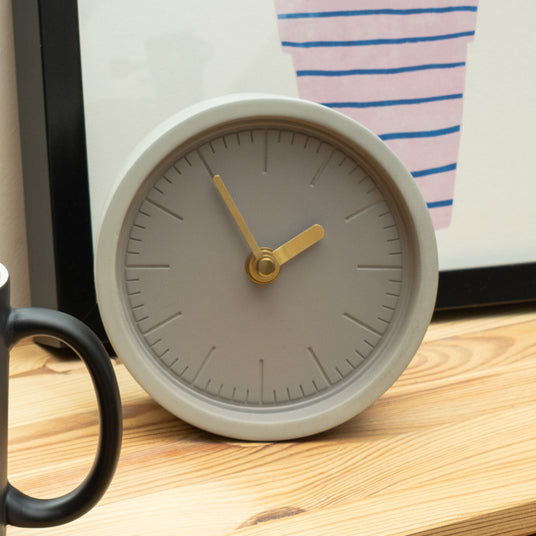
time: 1:54
